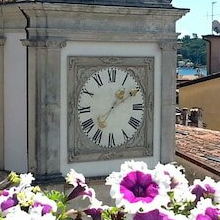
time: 1:36
